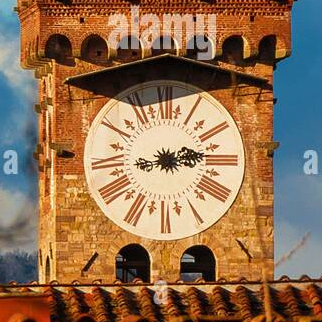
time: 2:12
